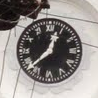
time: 12:37
